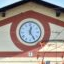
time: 12:24
